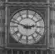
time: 2:48
